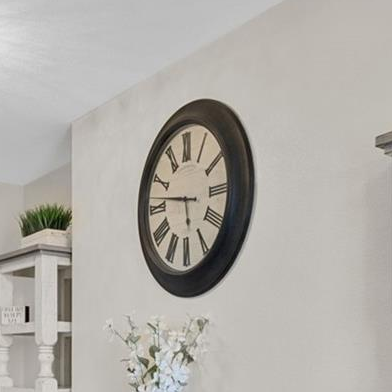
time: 5:46
